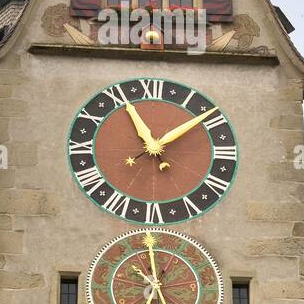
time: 11:08
